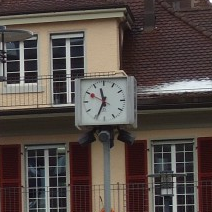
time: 11:33
